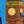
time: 8:21
